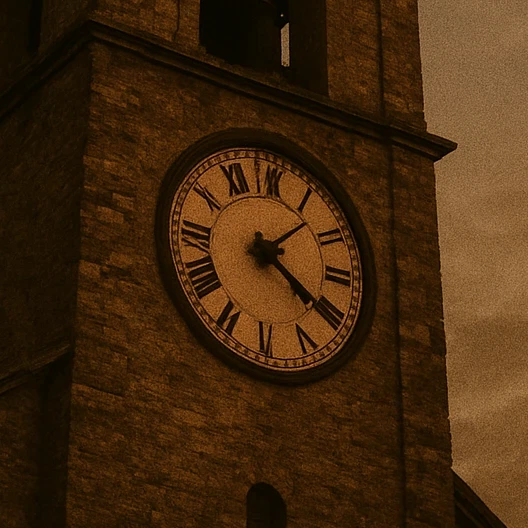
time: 1:20
